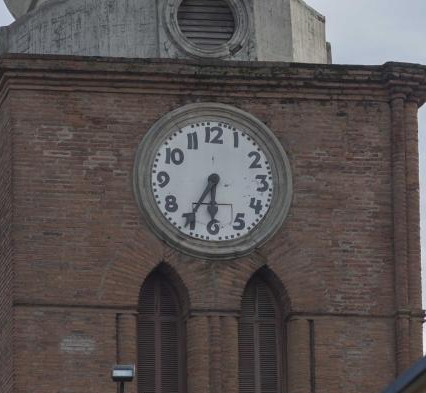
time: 6:35
